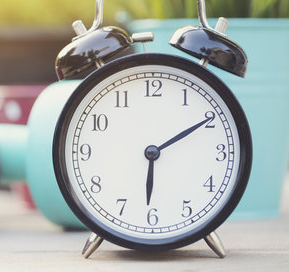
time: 6:09
